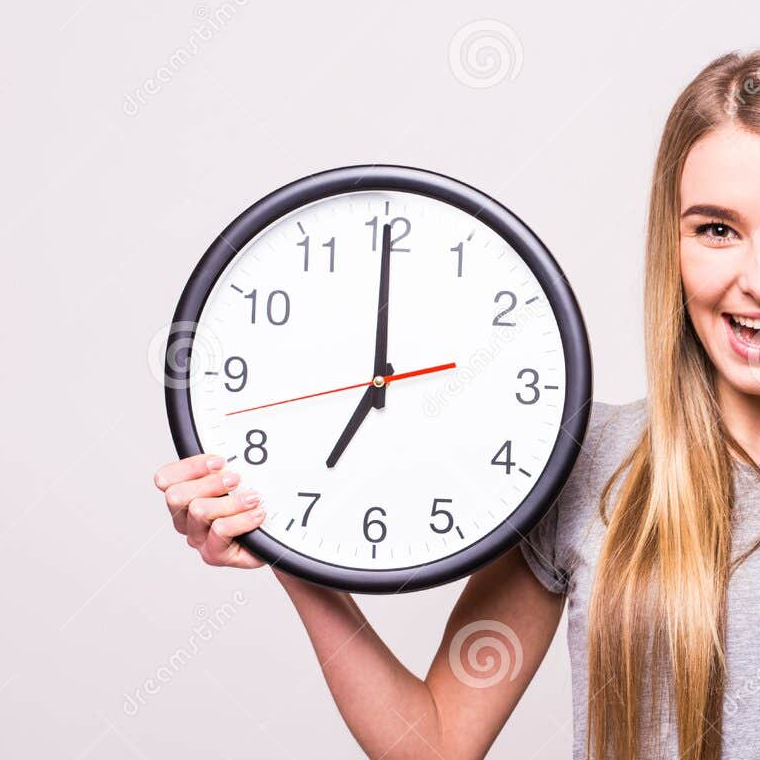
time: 7:00
